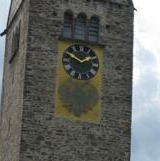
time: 1:50
